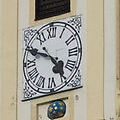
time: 4:49
